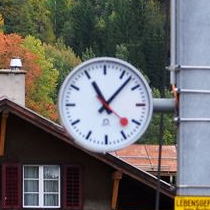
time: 11:07
